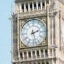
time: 2:27
